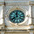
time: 11:38
